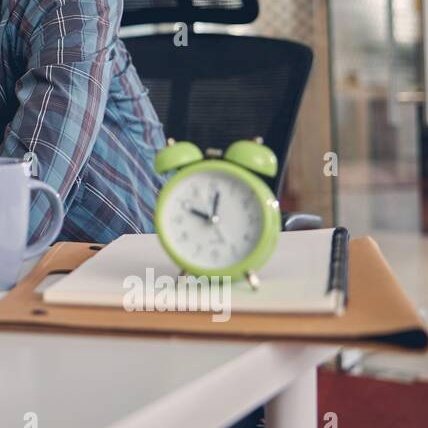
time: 10:01
